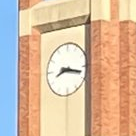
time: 8:17
